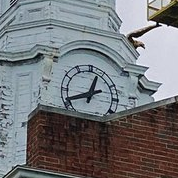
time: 12:41
